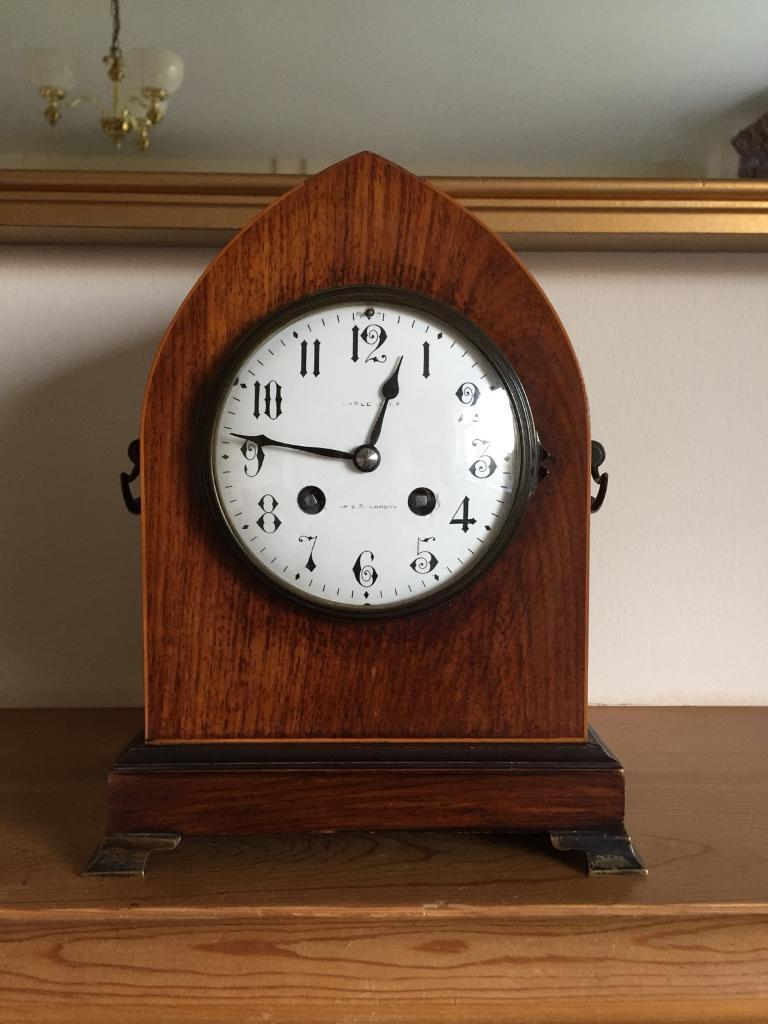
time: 12:46
